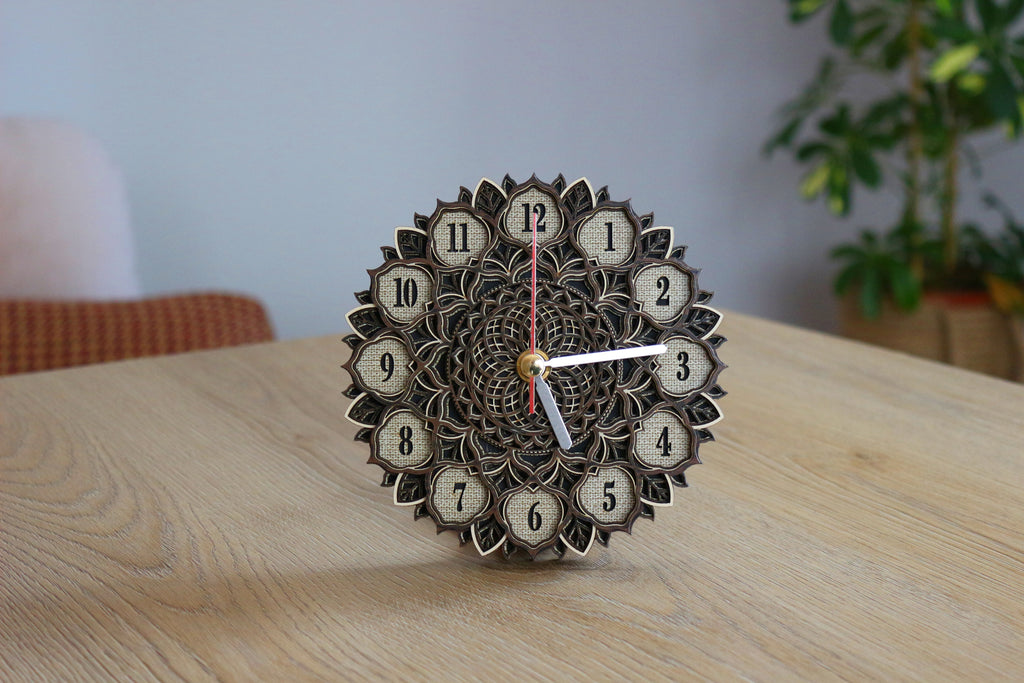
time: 5:14
